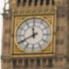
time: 11:40
